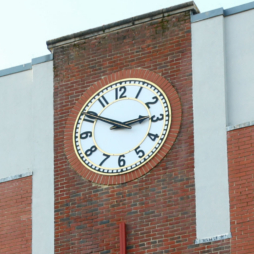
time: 2:50
